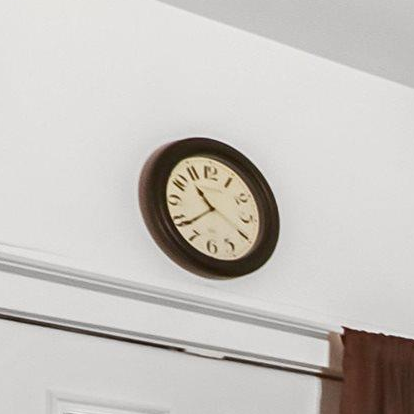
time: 10:38
